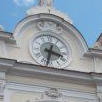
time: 3:32
